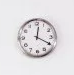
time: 12:19
